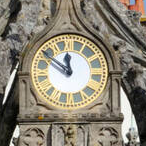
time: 11:50
